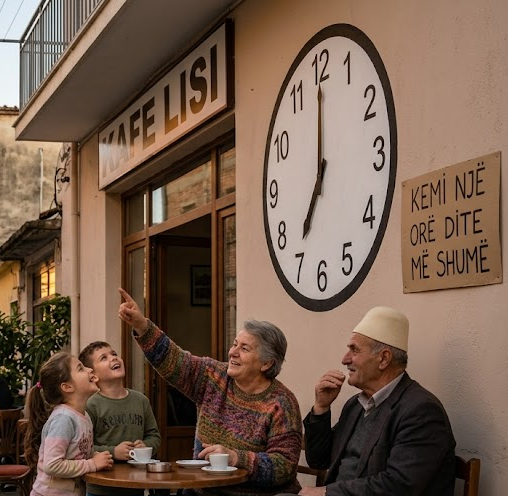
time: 7:00
